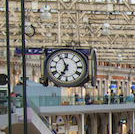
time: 6:56
